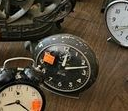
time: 12:12
